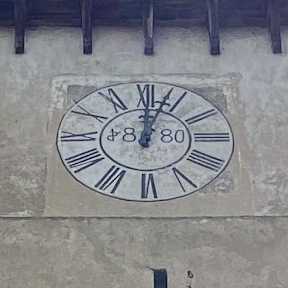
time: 12:03
